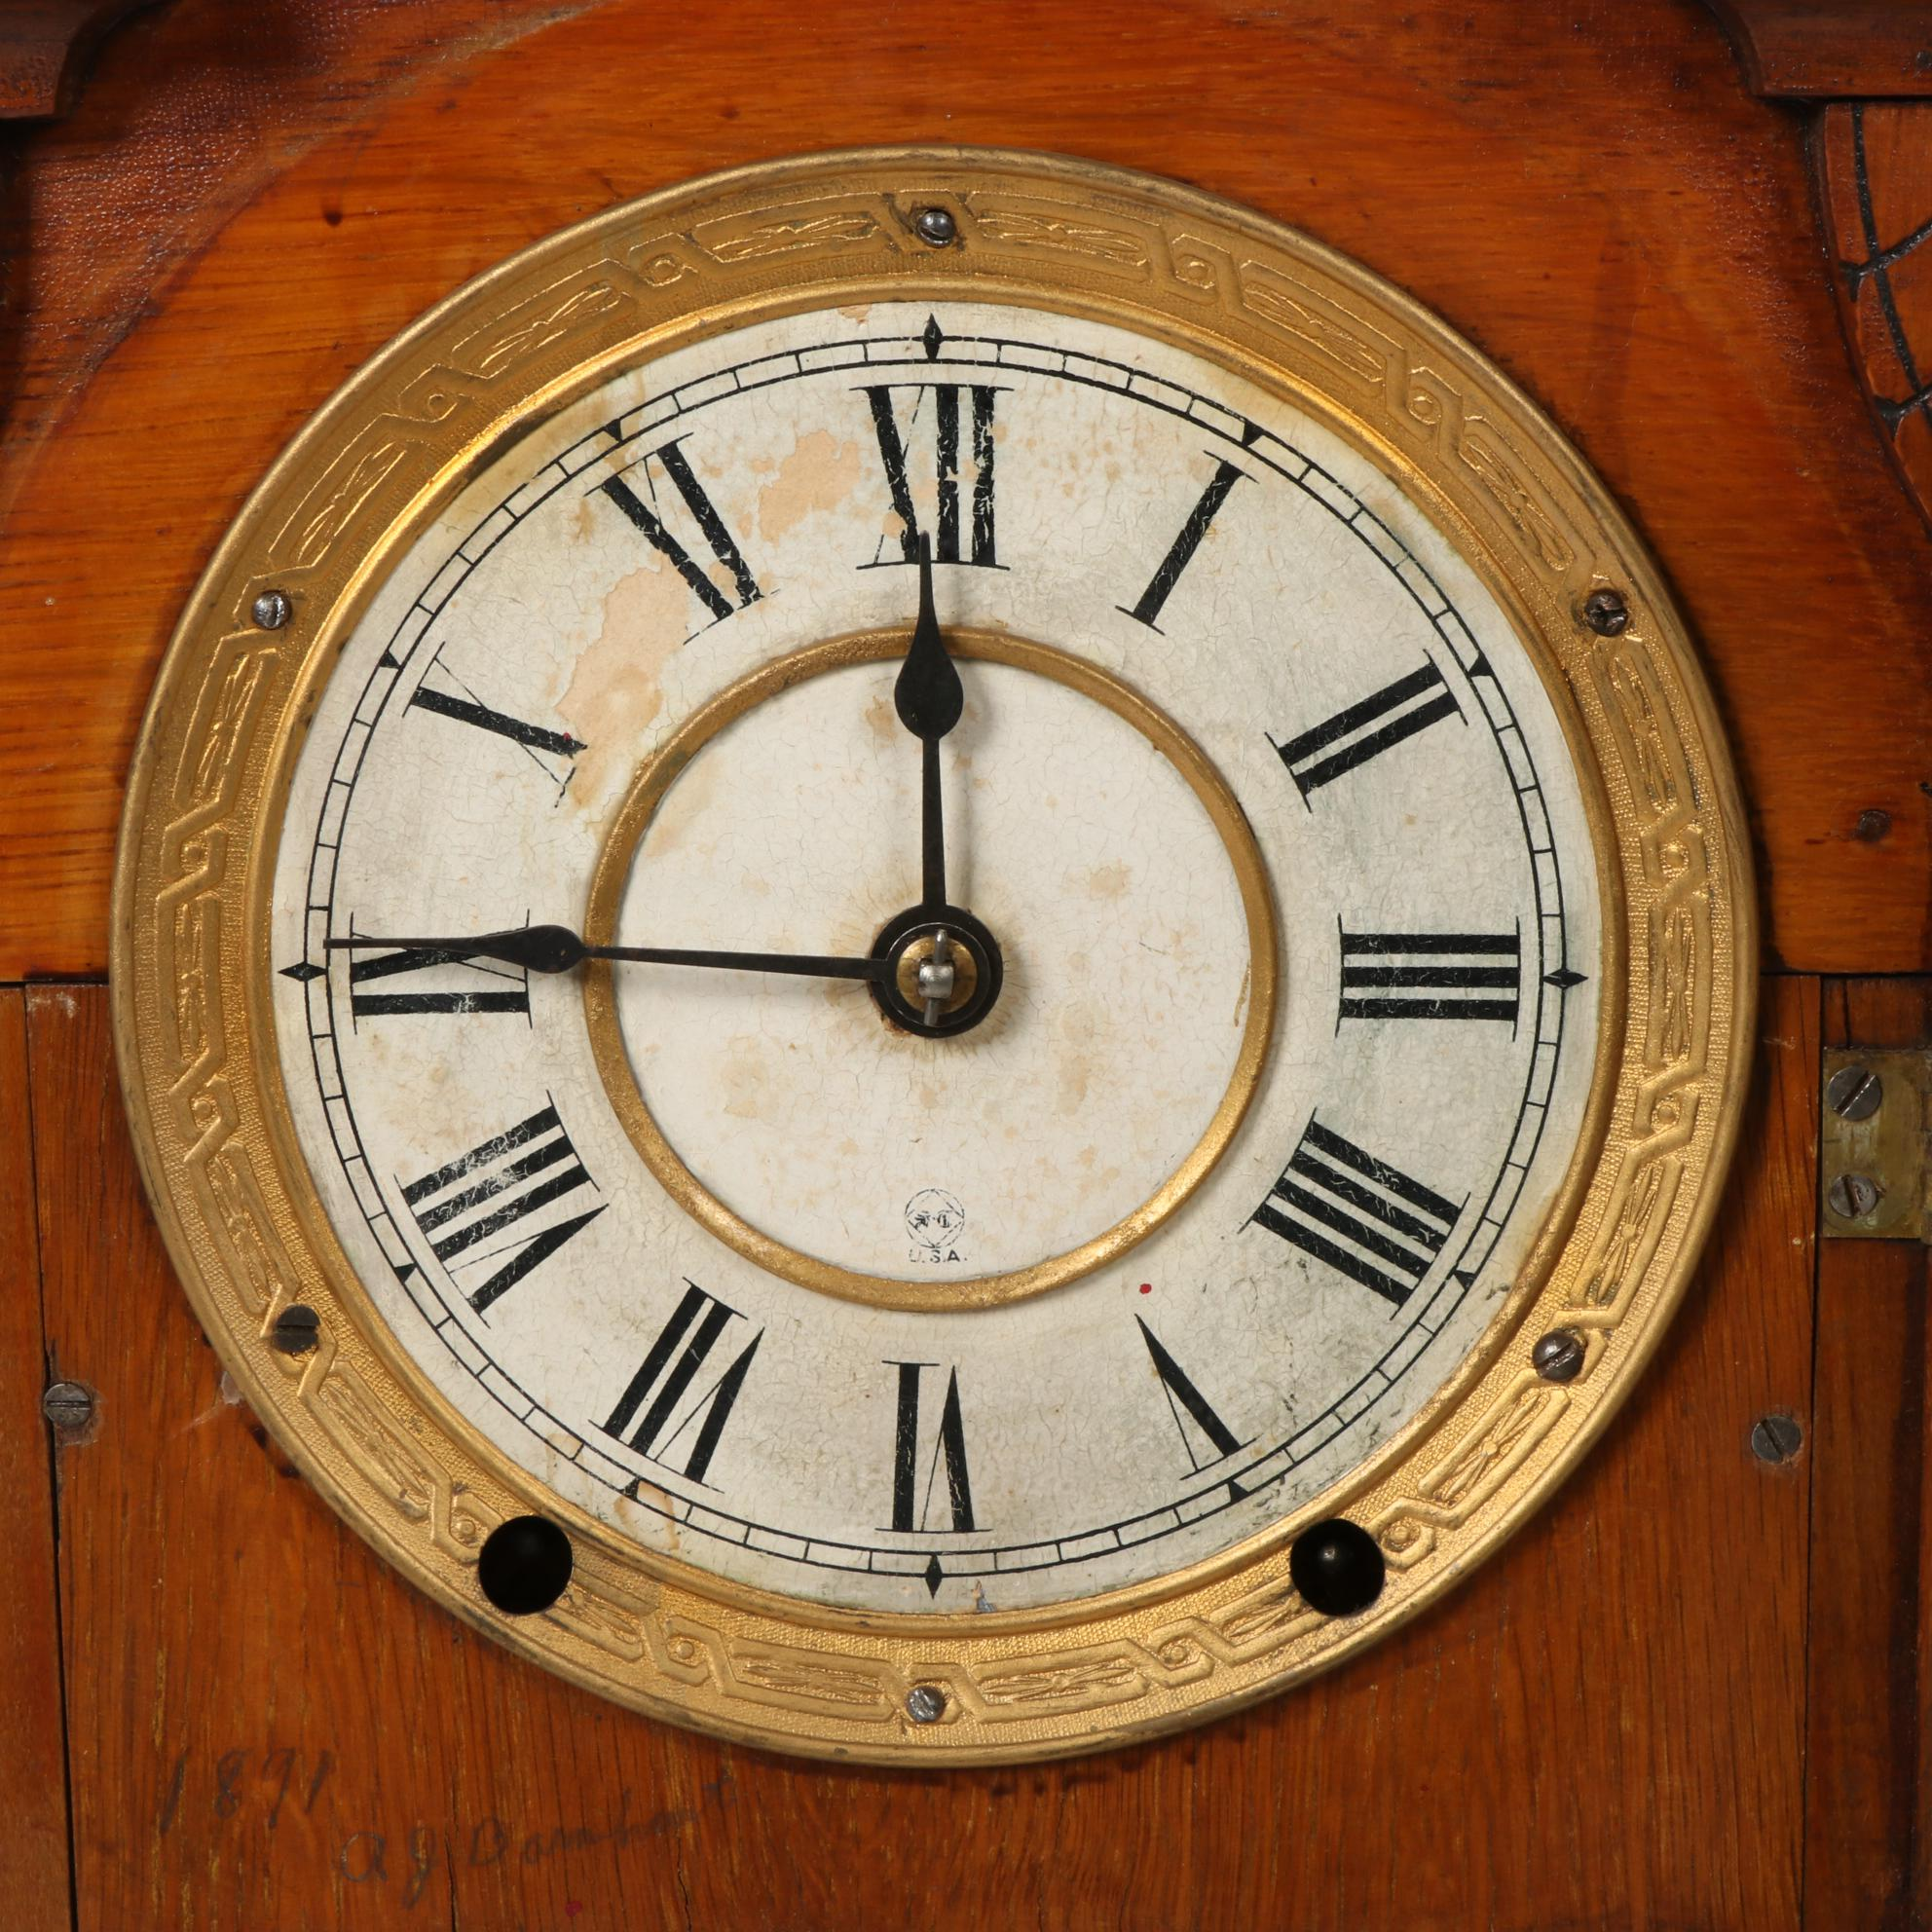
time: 11:45
